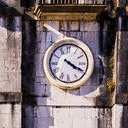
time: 4:19
